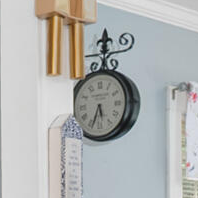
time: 5:33
